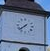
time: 7:38
